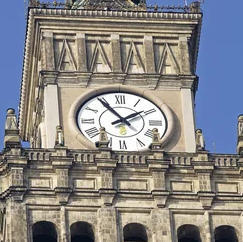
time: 1:54
